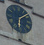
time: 6:08
